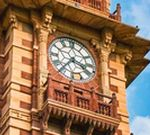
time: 3:36
